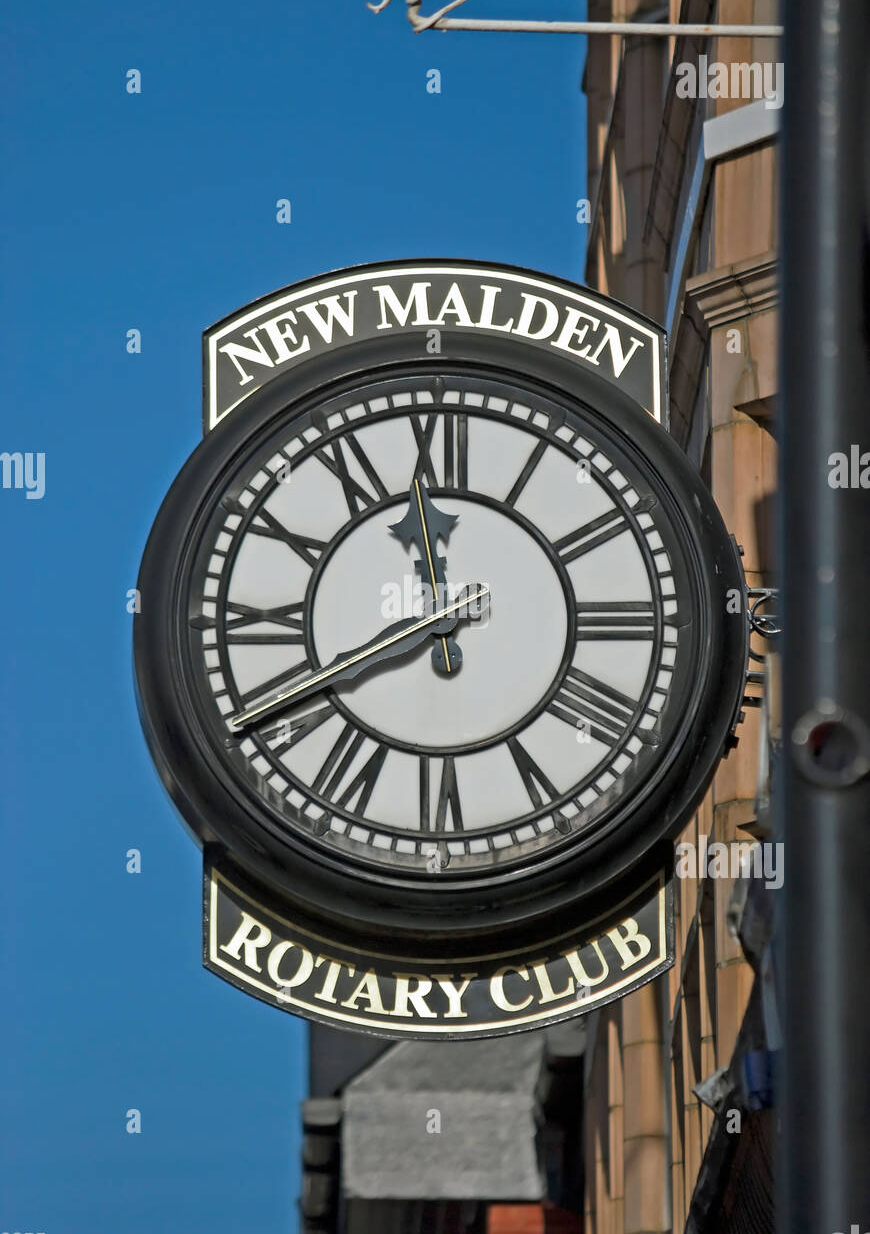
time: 11:40
